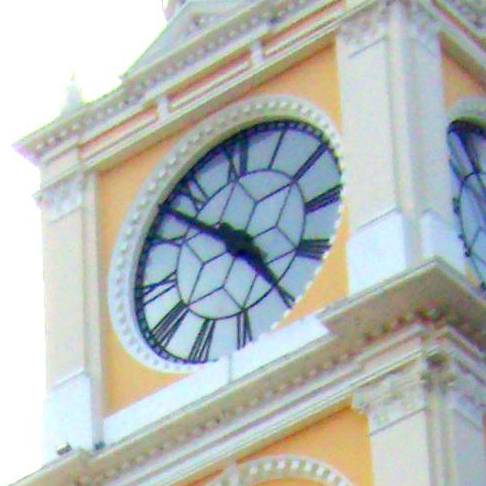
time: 10:24
